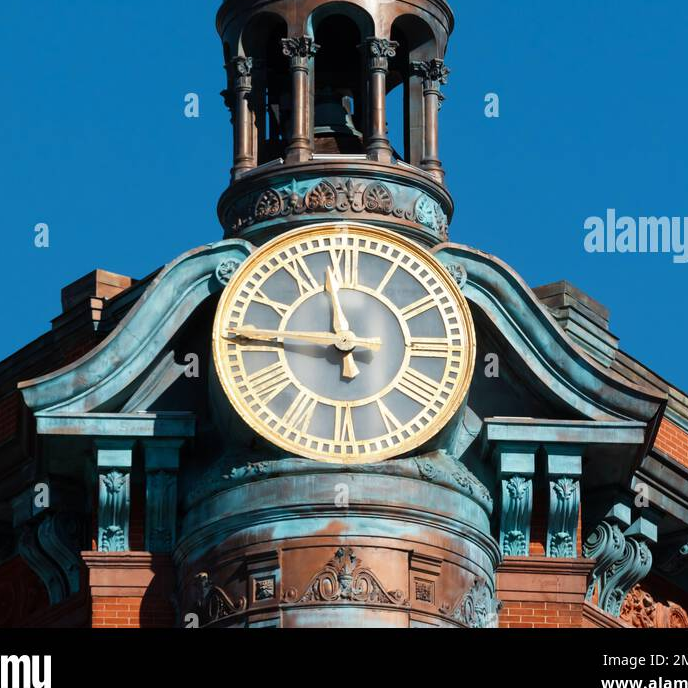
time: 11:45
